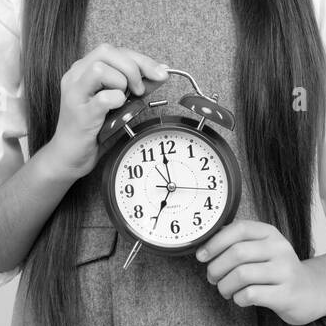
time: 6:59
